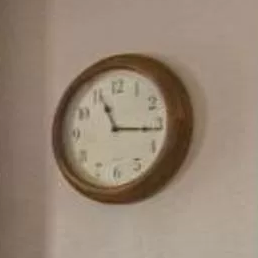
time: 11:16
